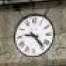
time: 9:23
